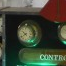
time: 9:38
